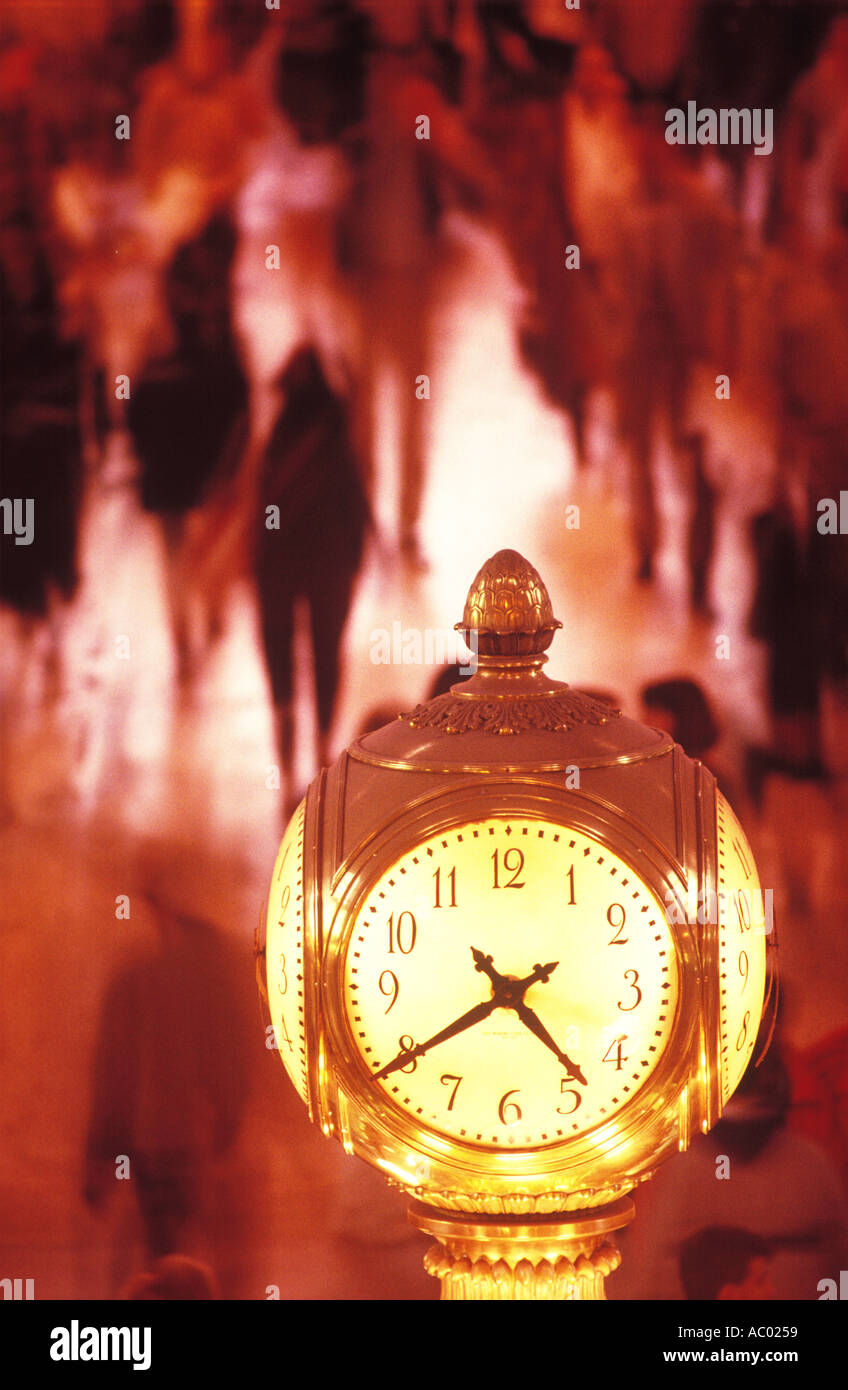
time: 4:39
